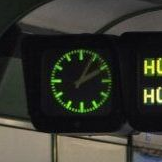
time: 2:04
